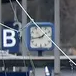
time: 1:43
